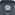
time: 3:43
